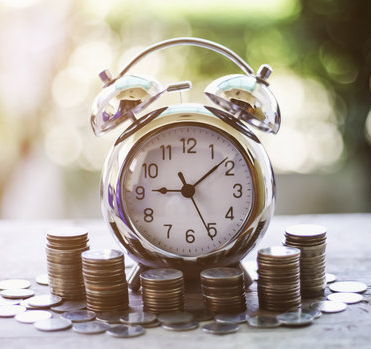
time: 9:08
